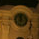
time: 11:32
